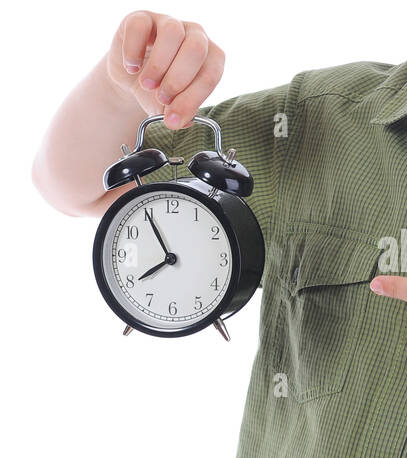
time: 7:55
